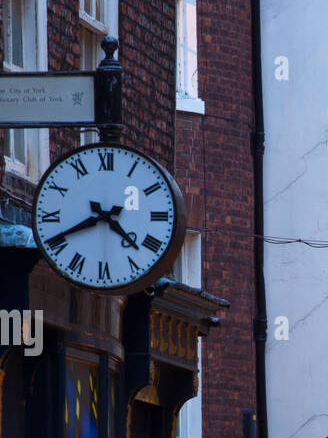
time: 4:40
